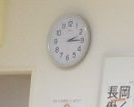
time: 2:14
